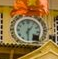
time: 6:06
